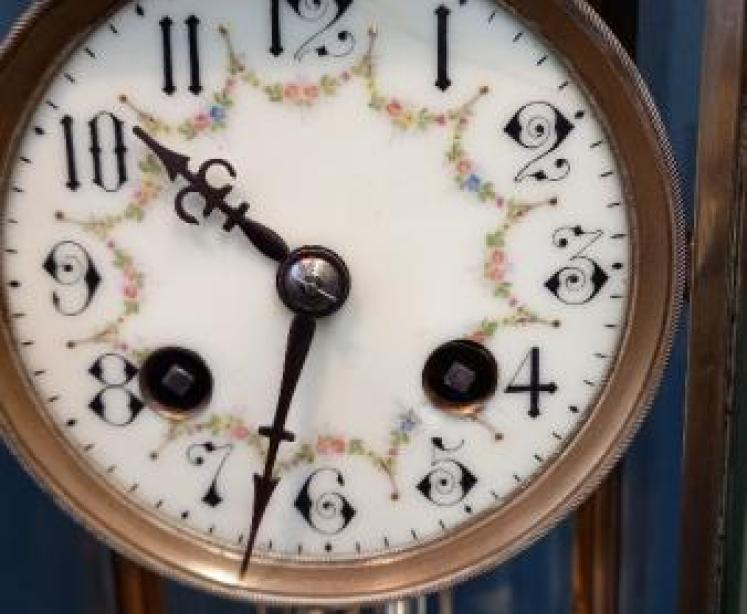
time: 10:32
